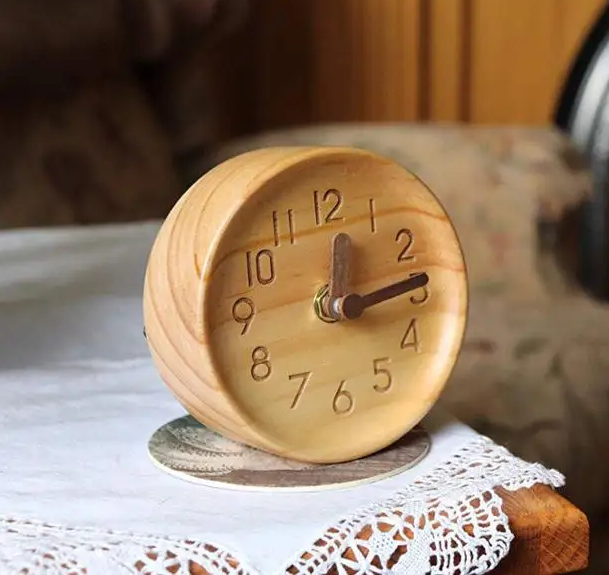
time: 12:13
